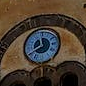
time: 11:40
